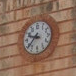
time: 9:38
